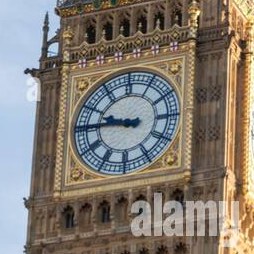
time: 9:45
